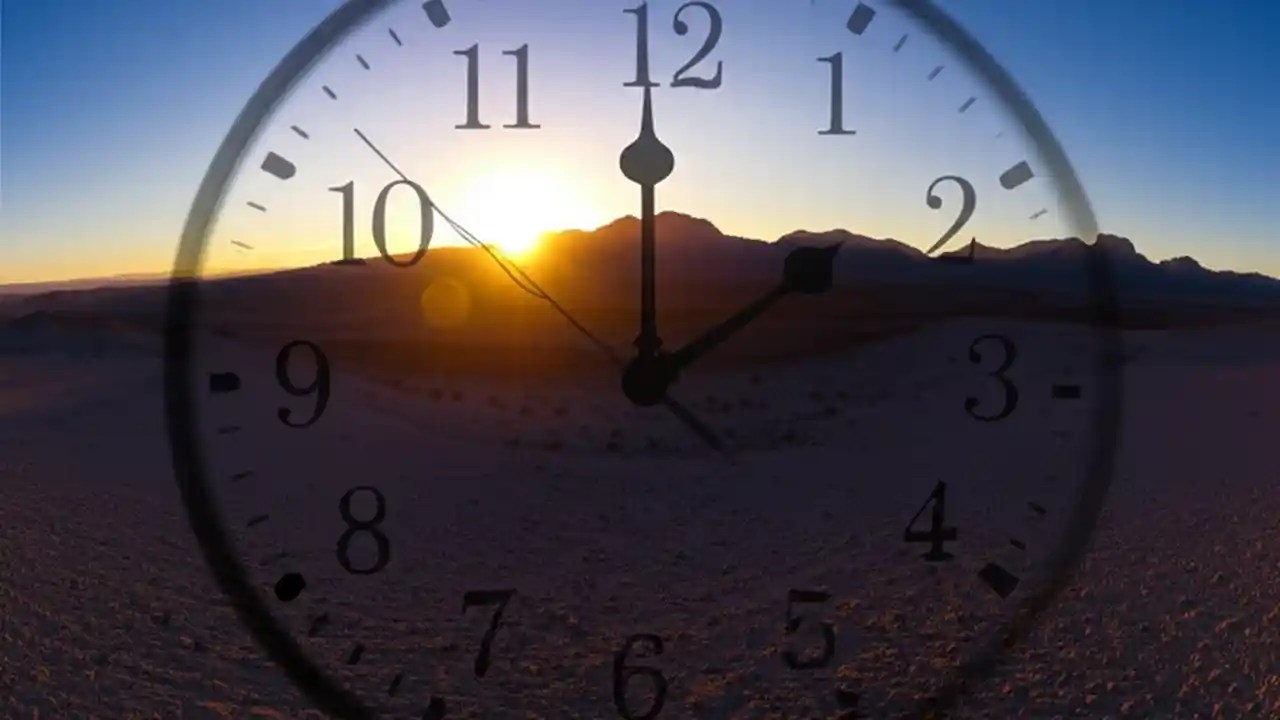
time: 1:59
